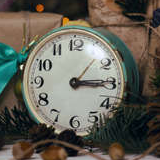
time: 3:14
